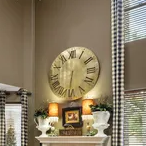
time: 6:32
